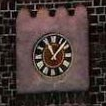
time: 11:07
